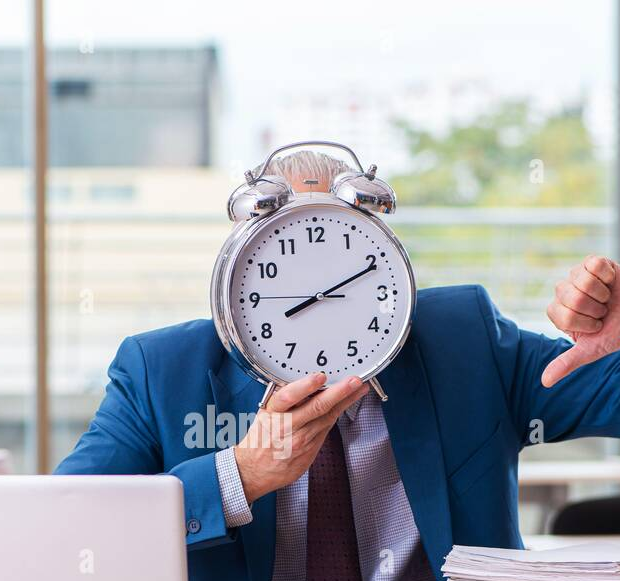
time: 8:10
